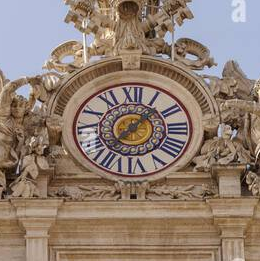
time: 1:36
